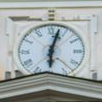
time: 6:02
